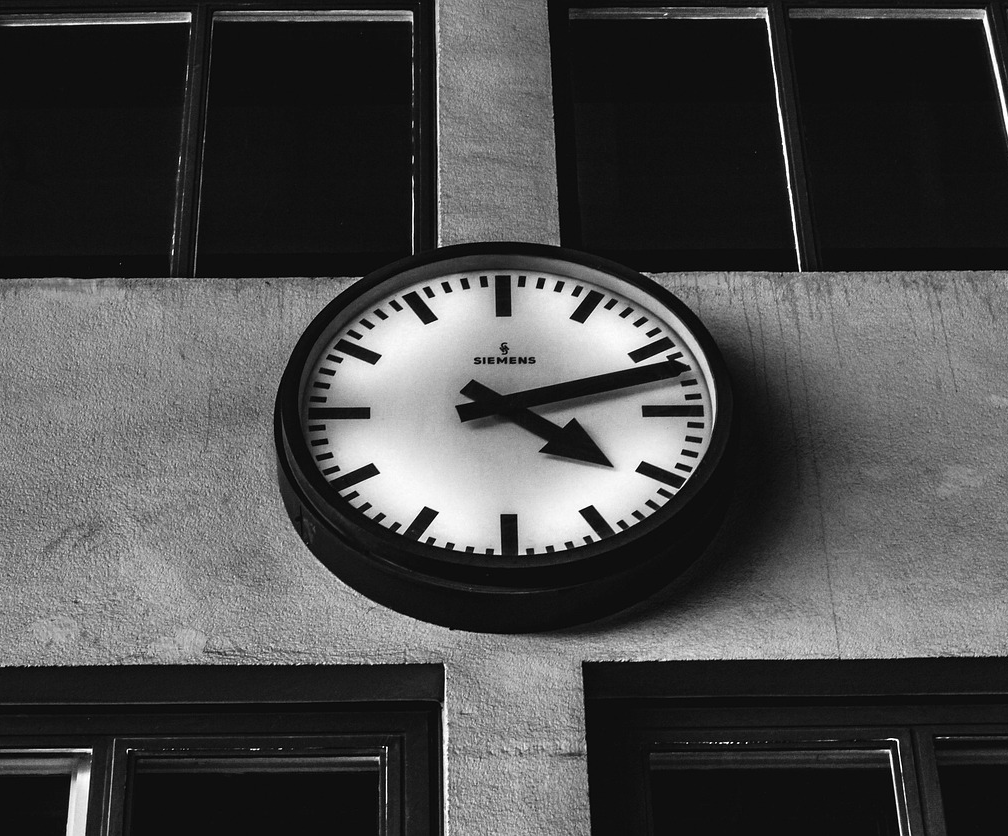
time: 4:12
